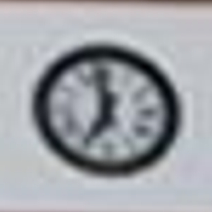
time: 6:58
